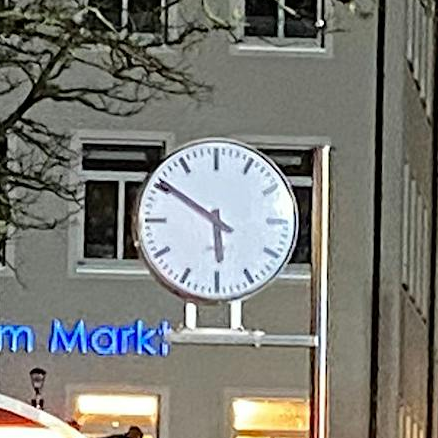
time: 5:50
